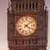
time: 4:08
